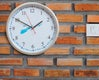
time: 1:49
